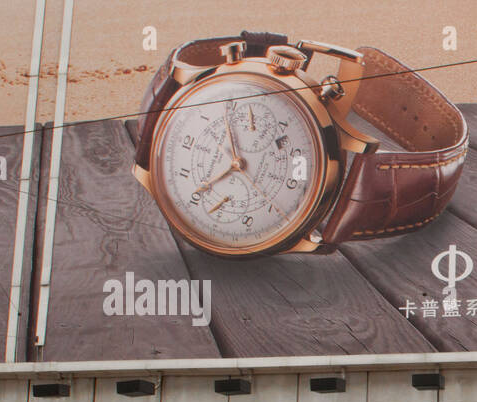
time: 11:40
